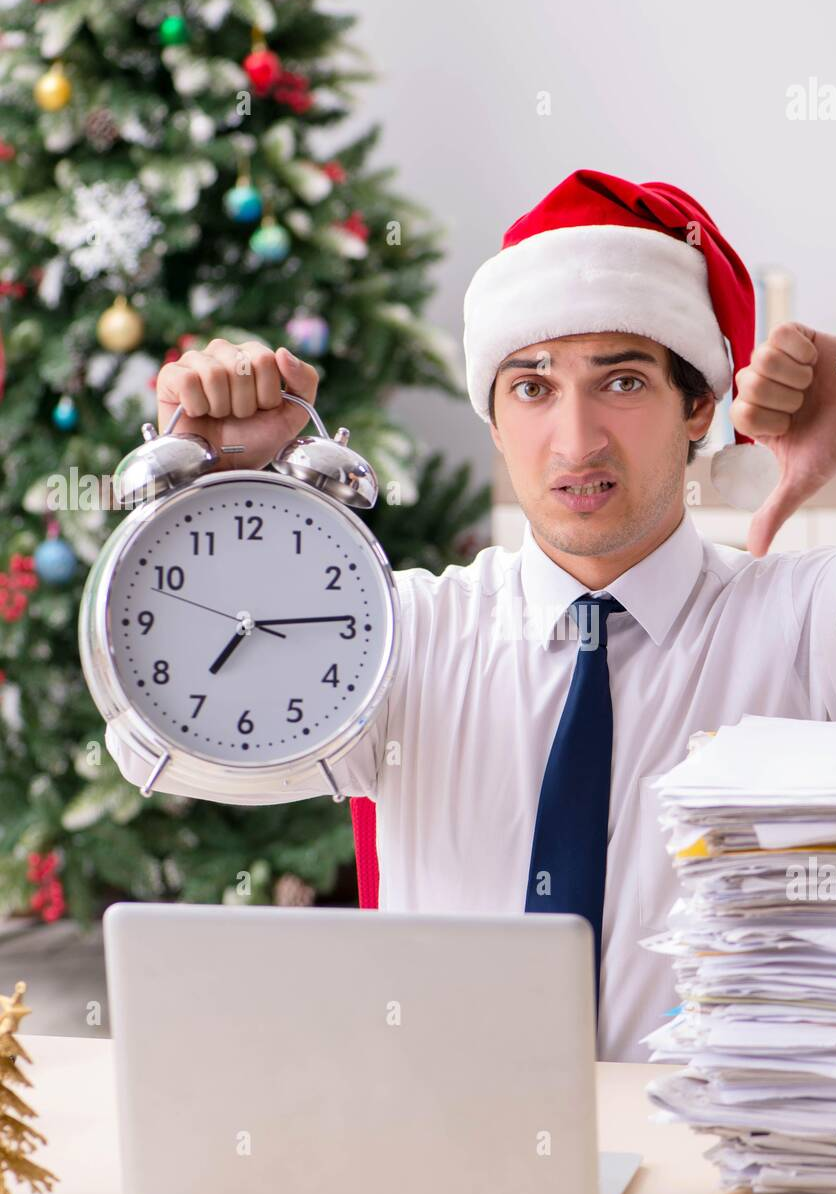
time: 7:14
